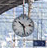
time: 10:28
